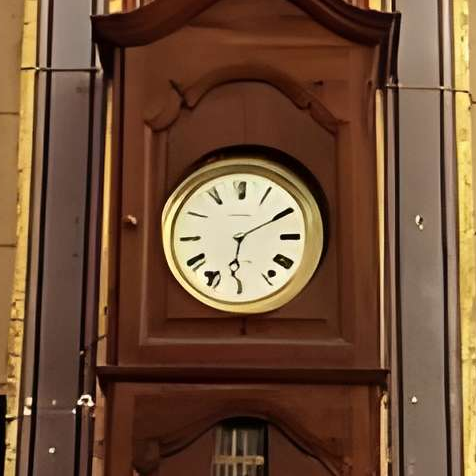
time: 6:10
